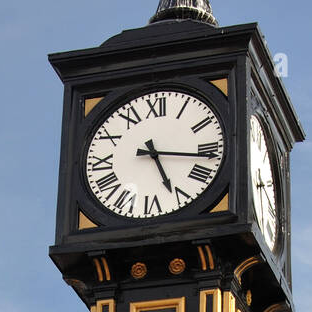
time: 5:16
